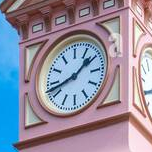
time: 1:42
